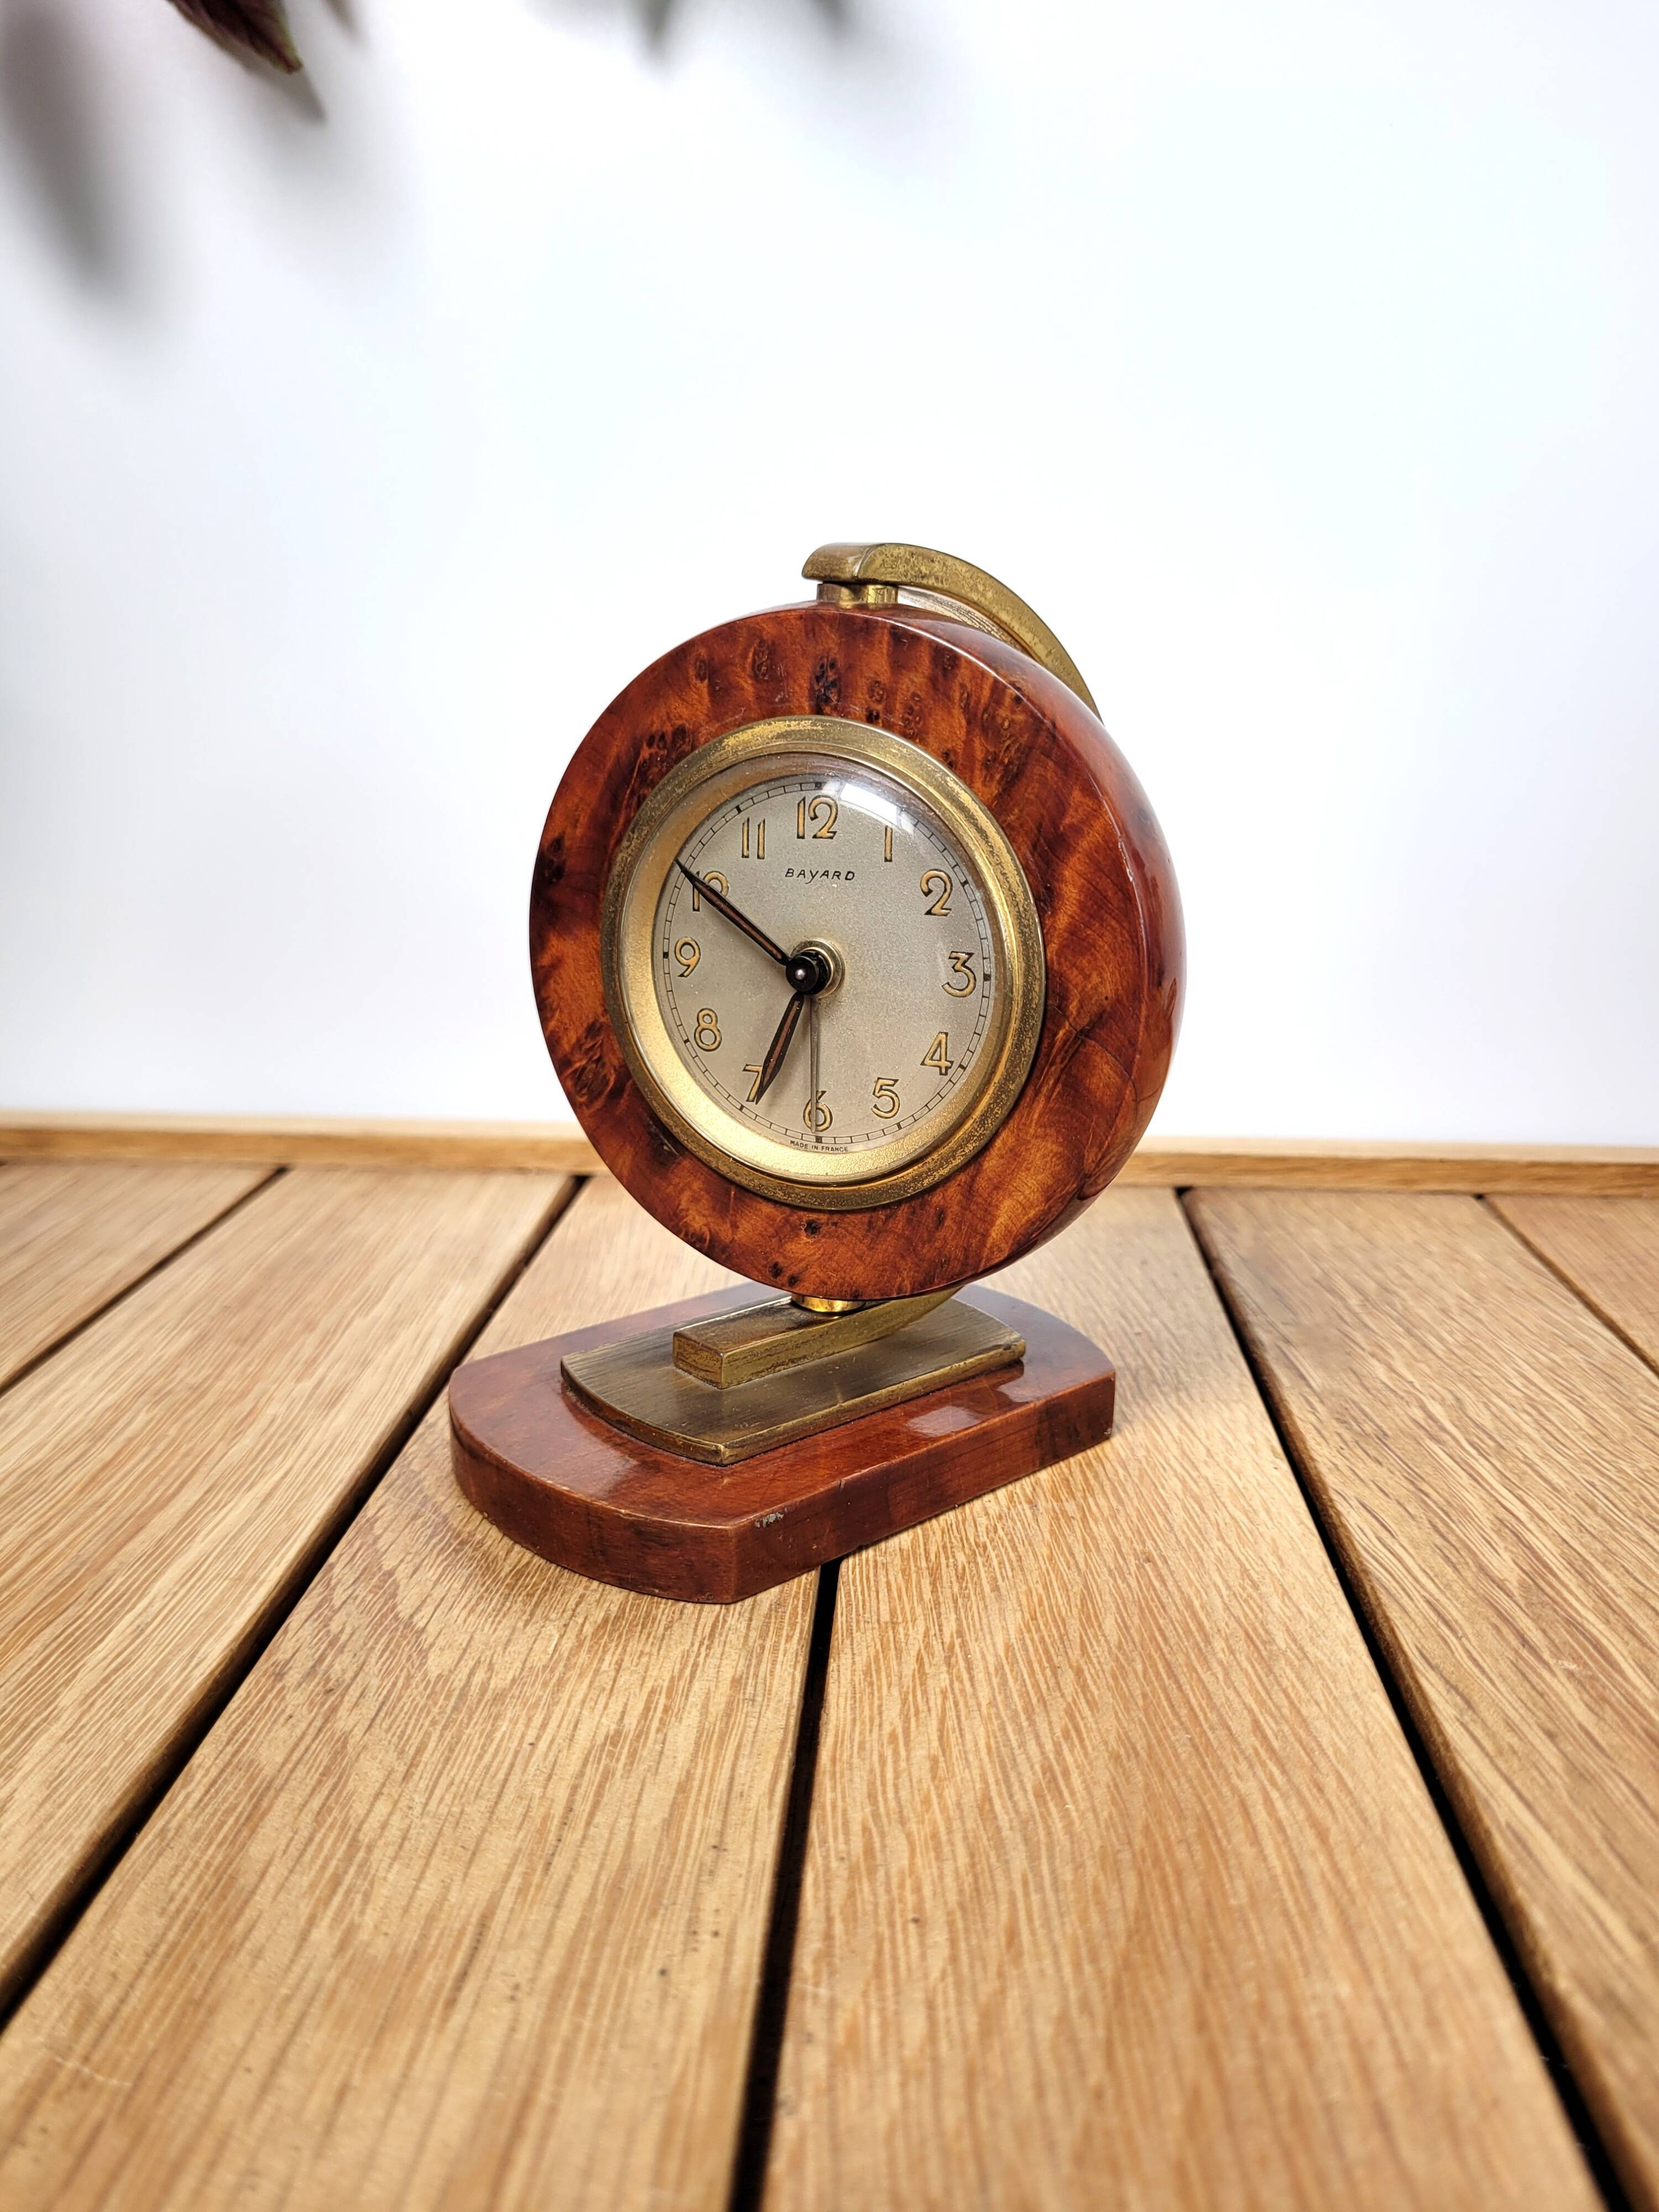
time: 6:50
